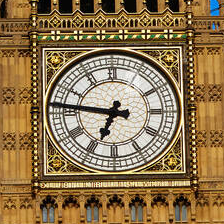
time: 6:46
